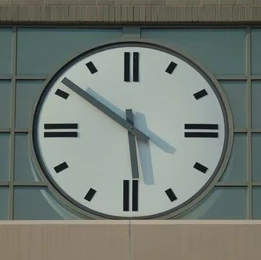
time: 5:51
